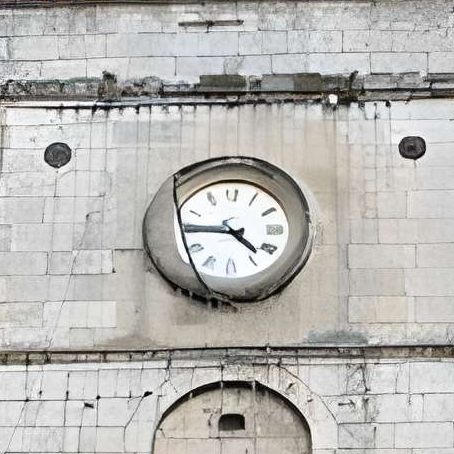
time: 4:44
